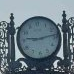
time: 9:13
